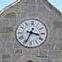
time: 3:34
